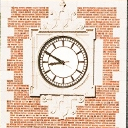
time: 8:49
